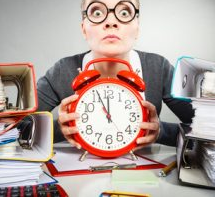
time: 11:55
